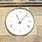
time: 11:07
